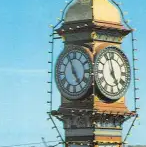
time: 4:56
